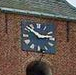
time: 2:50
